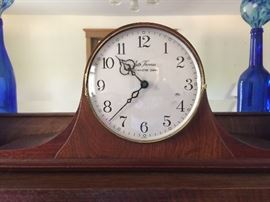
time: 10:37
